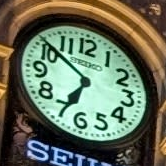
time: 6:51
